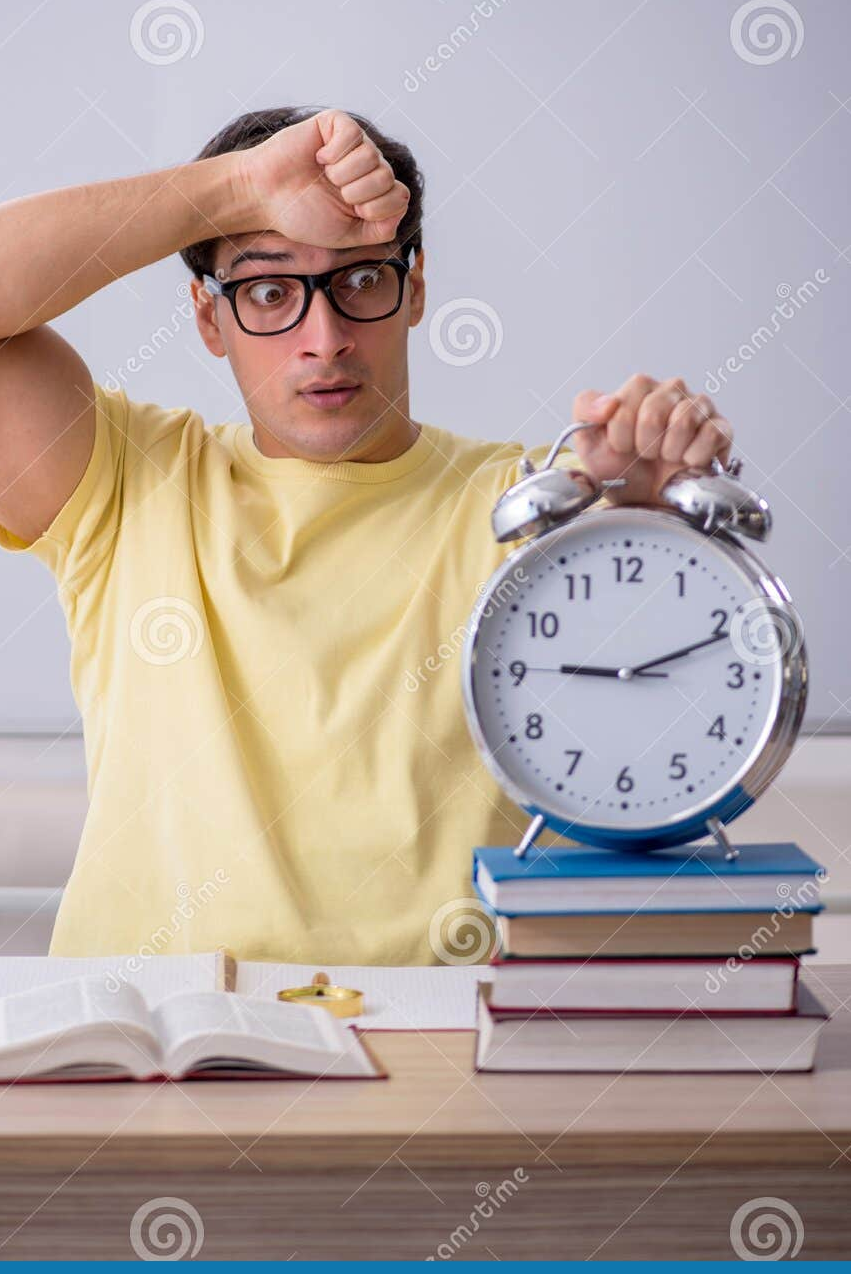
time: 9:11
